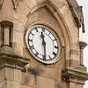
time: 11:29
